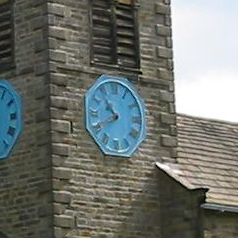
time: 10:40
